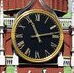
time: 11:13
